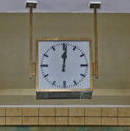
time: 12:01
